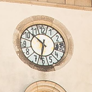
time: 10:32
